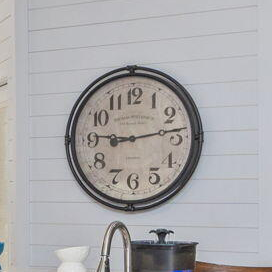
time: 9:13
